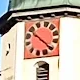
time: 10:21
